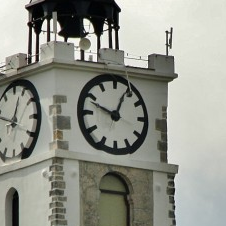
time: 12:48
